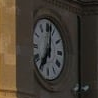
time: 7:01
